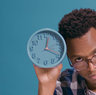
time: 12:18
